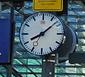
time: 8:07
